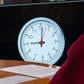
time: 9:01
